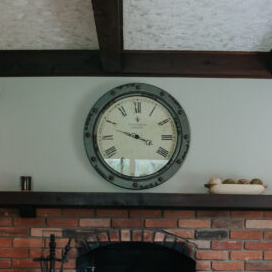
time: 3:48
